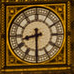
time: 8:30
